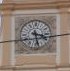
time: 3:28
